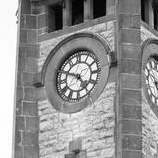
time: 4:49
